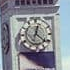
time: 12:21
